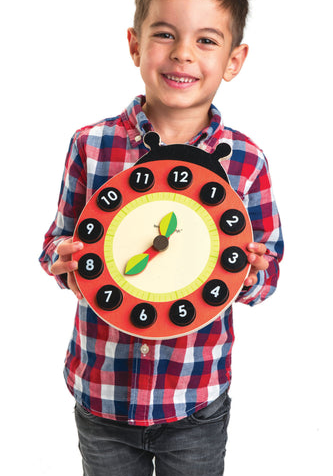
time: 12:36
